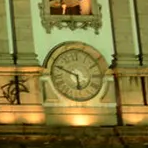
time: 5:48
